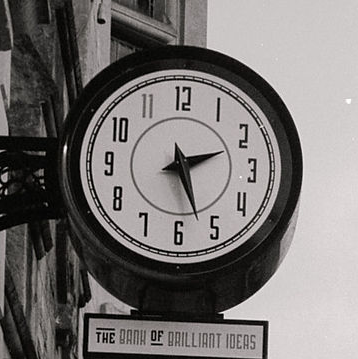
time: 2:26
